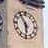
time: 5:54
